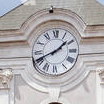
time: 1:41
